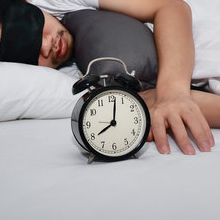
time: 8:01
